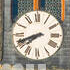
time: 7:41
